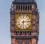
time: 6:13
